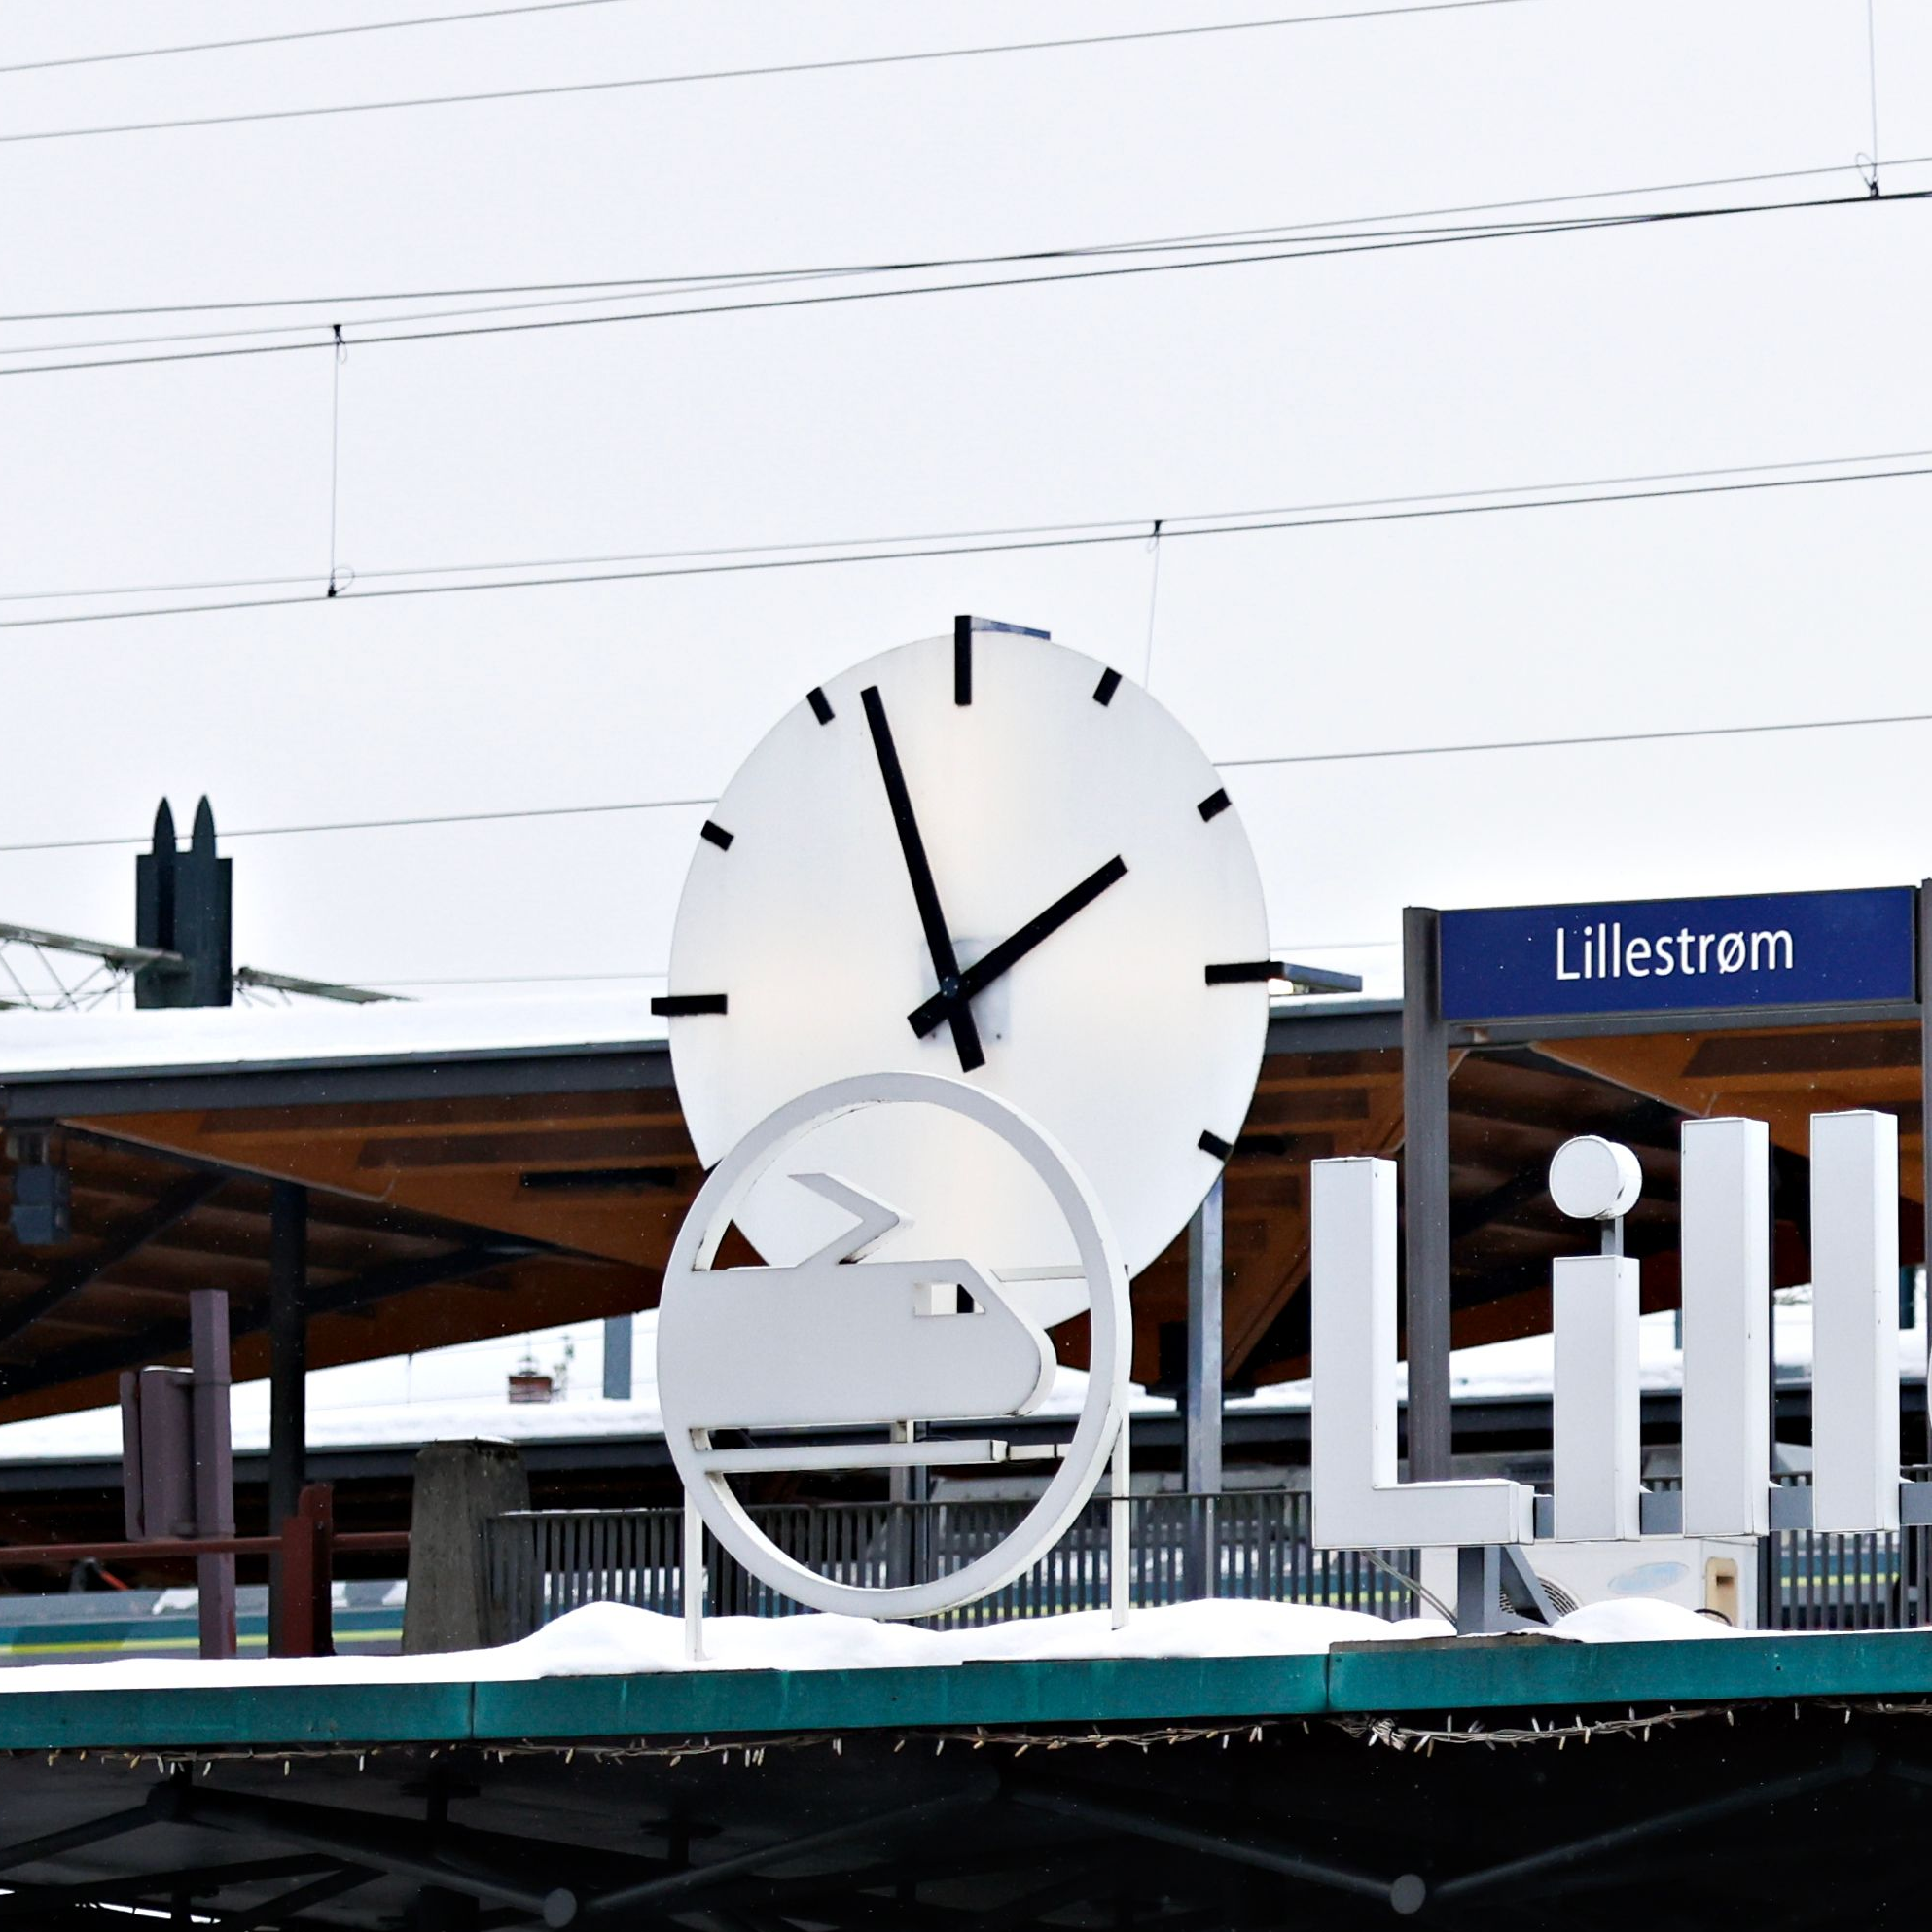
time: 1:56
